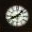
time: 8:07
